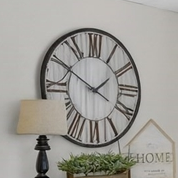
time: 1:50
